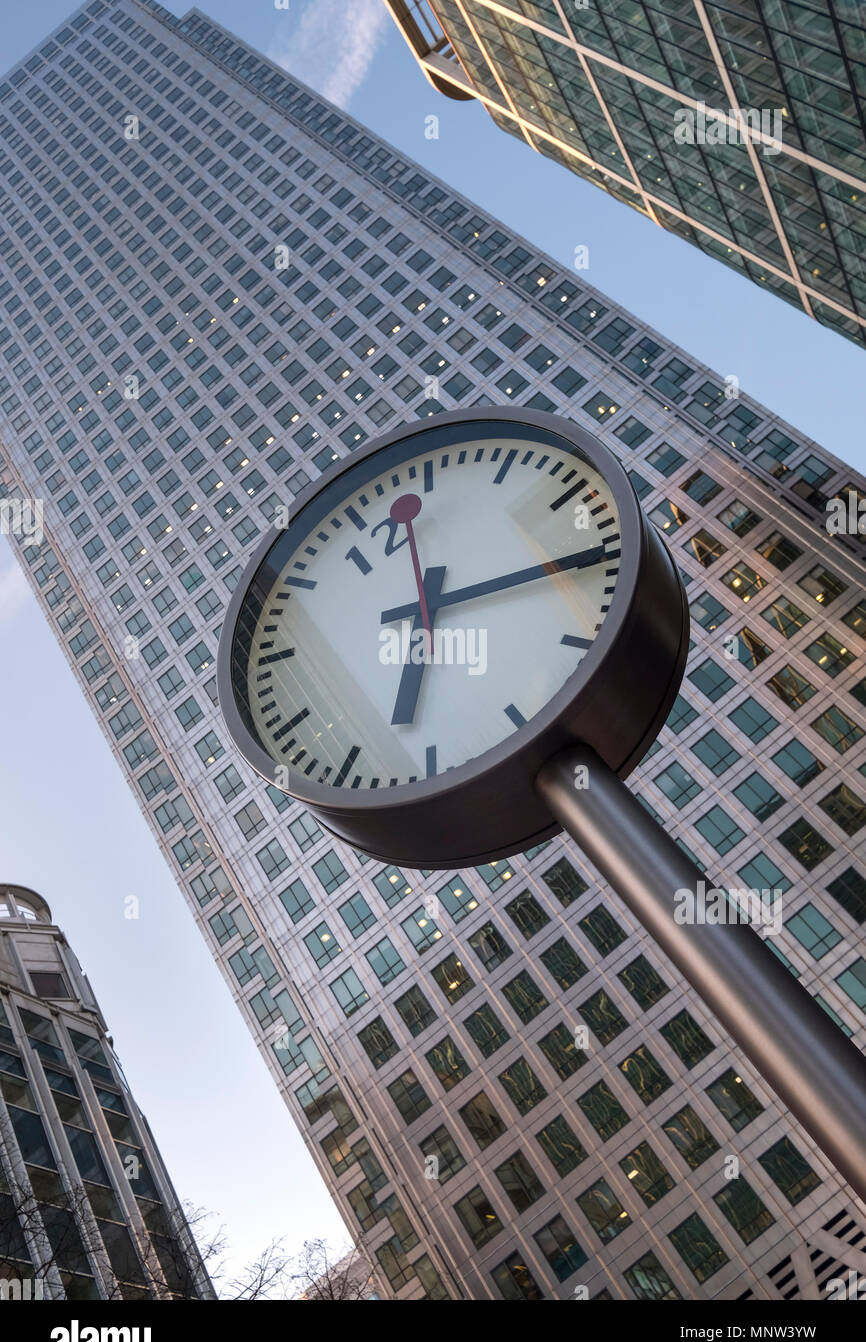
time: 6:15
